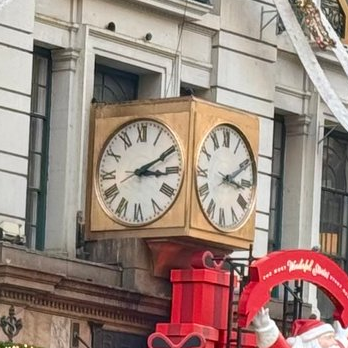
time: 3:10
